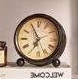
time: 6:55
